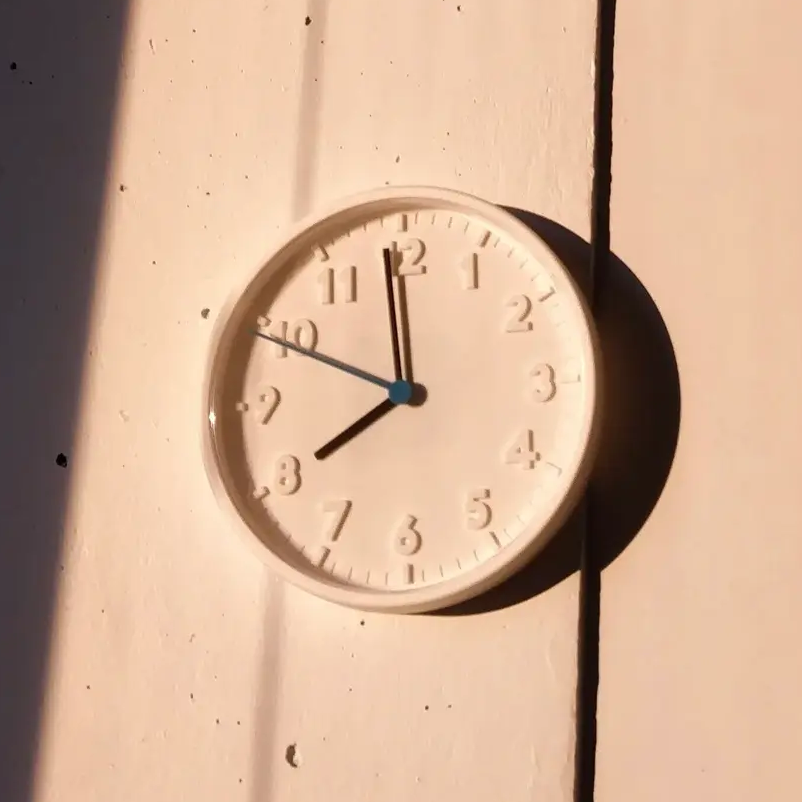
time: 7:58
